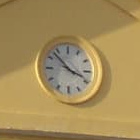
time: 3:52
